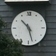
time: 10:27
